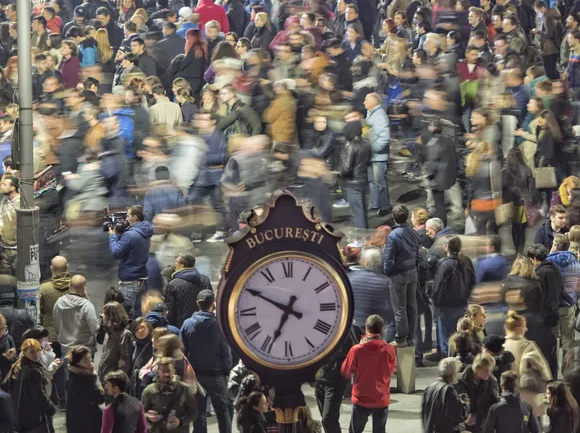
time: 6:49
